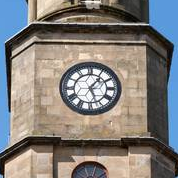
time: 1:26
